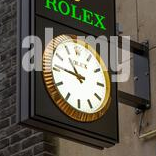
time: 10:45
